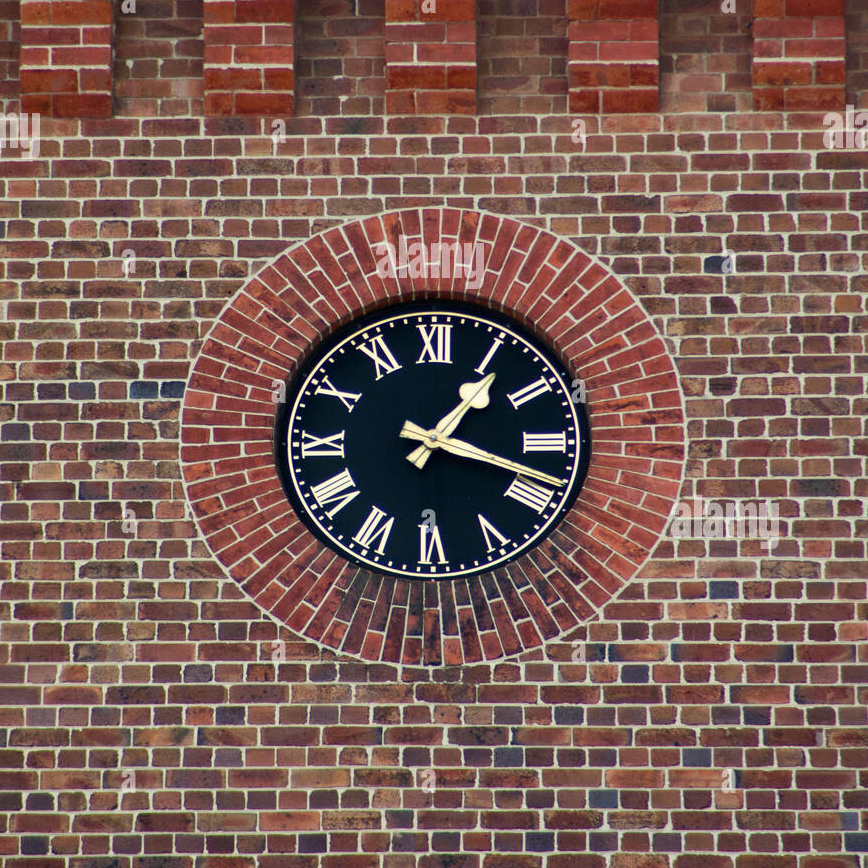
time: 1:18
